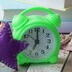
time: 7:00
